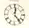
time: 12:23
